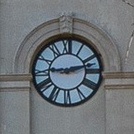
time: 9:12
